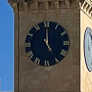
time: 5:00
